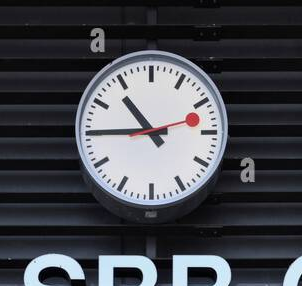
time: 10:45
